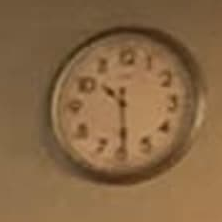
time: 10:29
